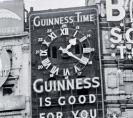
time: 1:20
